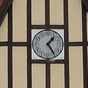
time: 1:24
